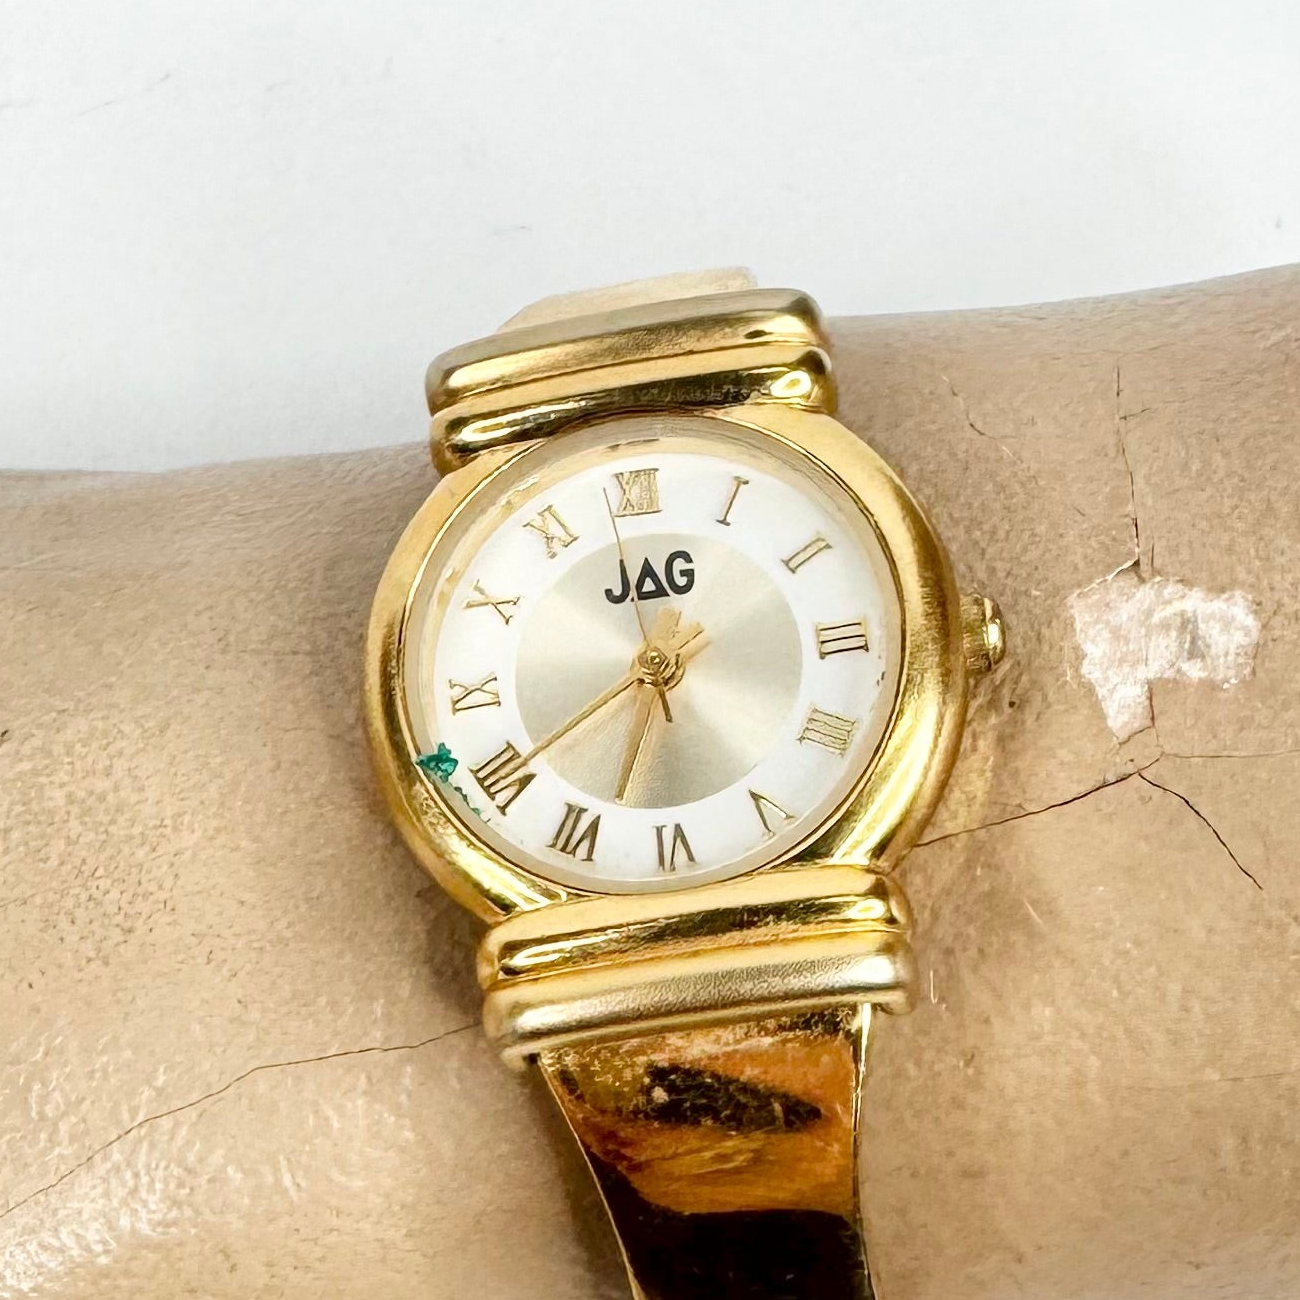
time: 11:33
